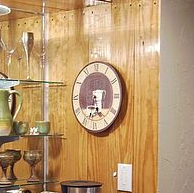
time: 5:33
